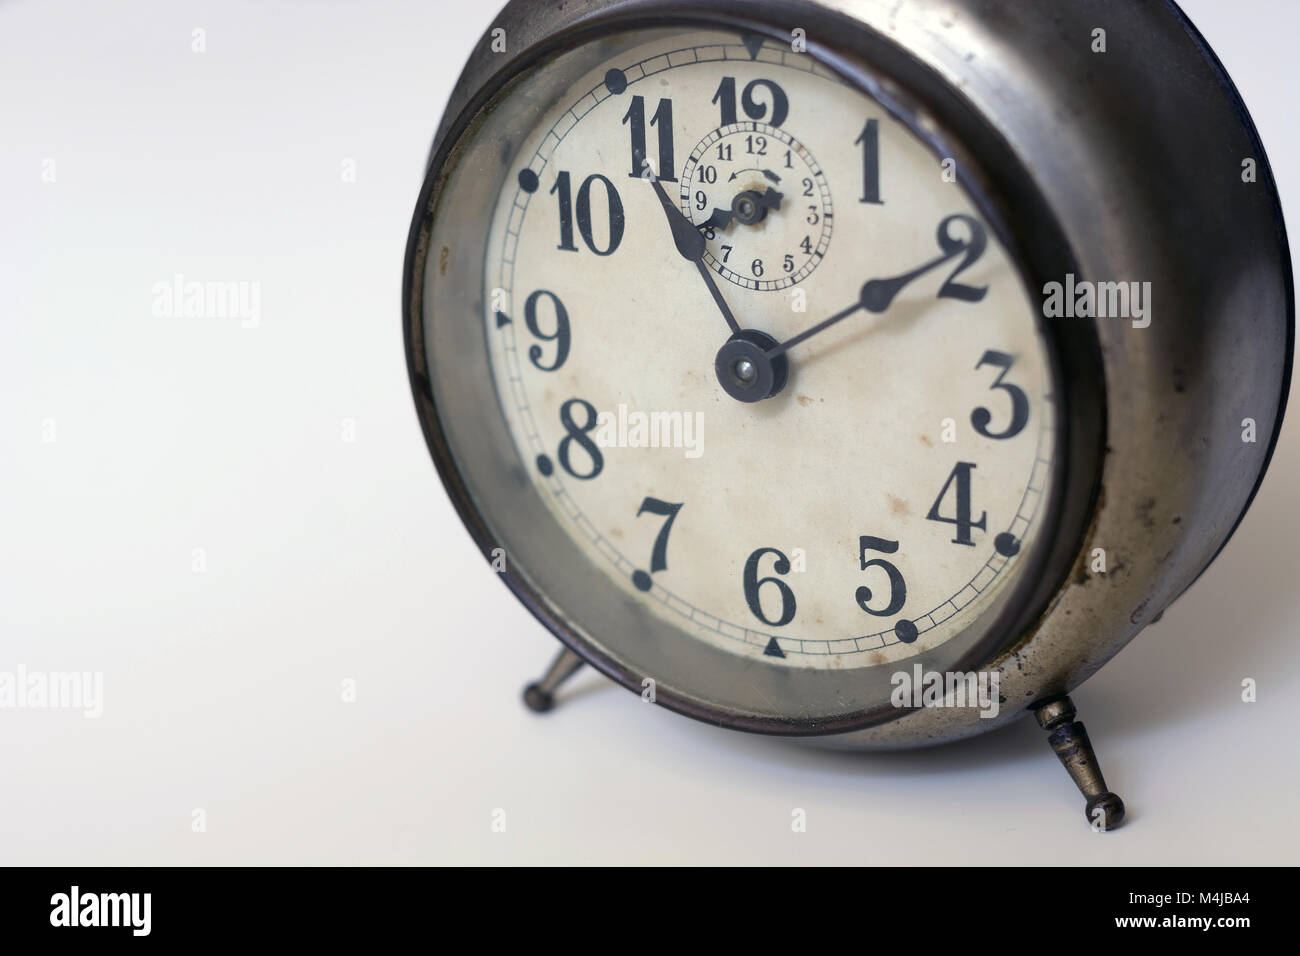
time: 11:09
